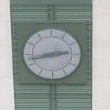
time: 2:42
